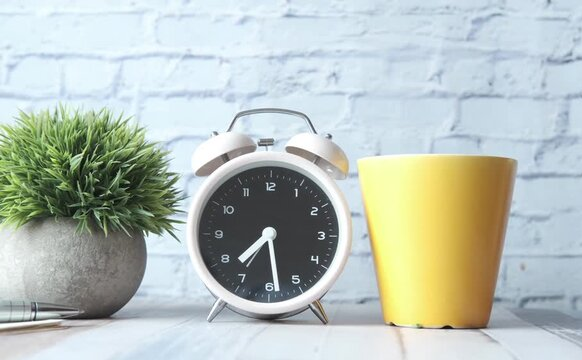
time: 7:28
